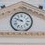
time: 9:48
